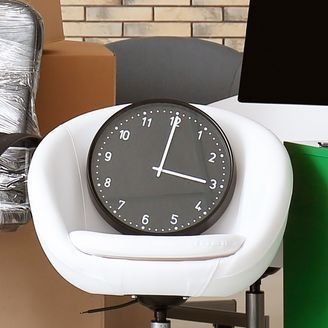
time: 3:00
